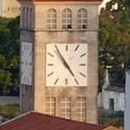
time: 4:54
